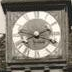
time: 2:18
